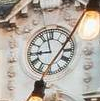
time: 8:57
